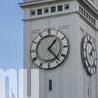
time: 1:23
